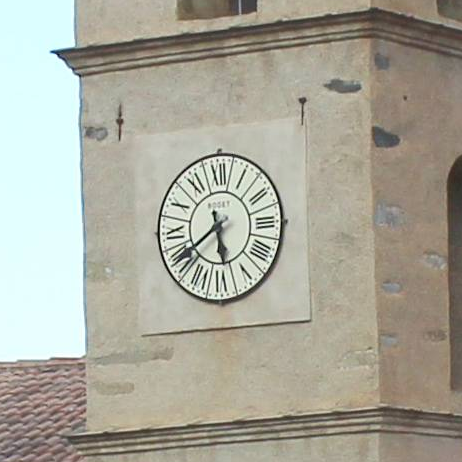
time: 5:39
